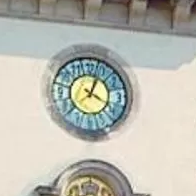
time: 4:03
